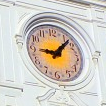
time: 9:07
